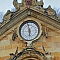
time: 5:57
